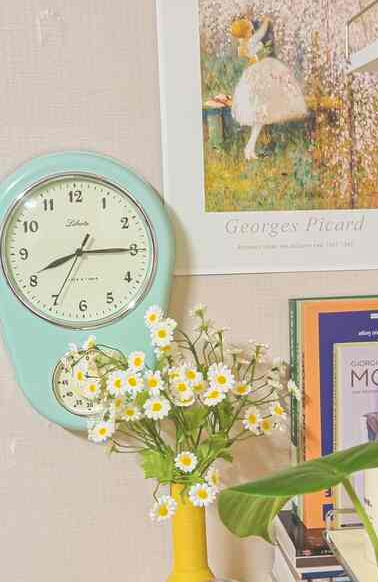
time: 8:14
